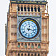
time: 12:16
